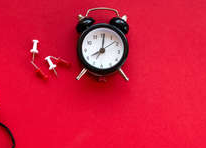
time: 8:01
